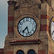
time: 7:26
